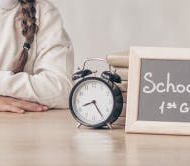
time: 8:24
